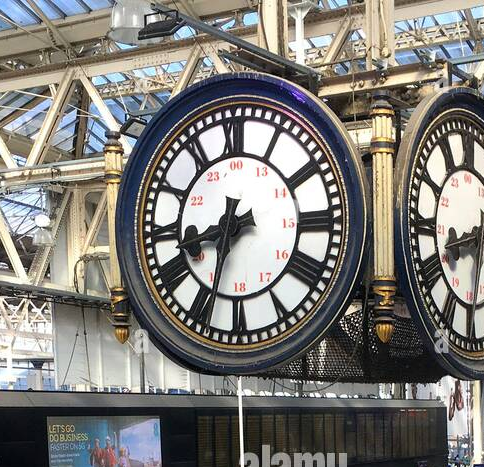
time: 8:33
